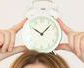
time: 10:07
